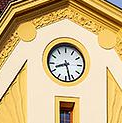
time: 8:27
